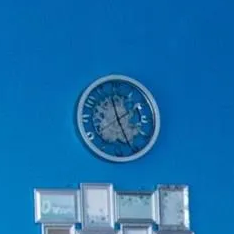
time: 11:26
